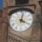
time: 4:02
